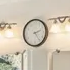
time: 2:24
